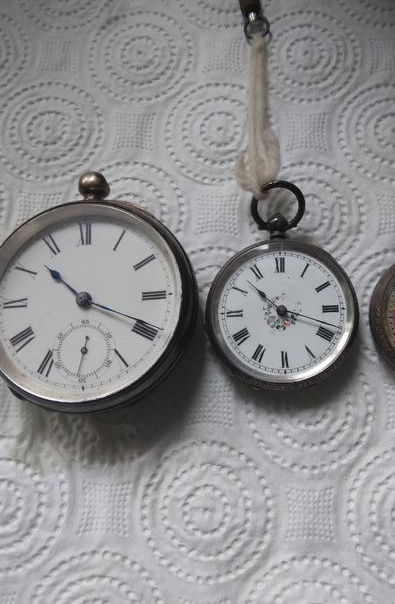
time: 10:18
